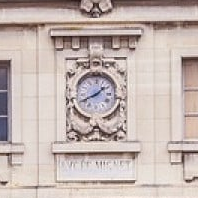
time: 1:40
